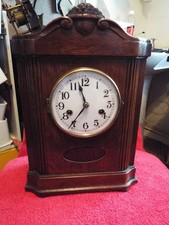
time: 11:36
